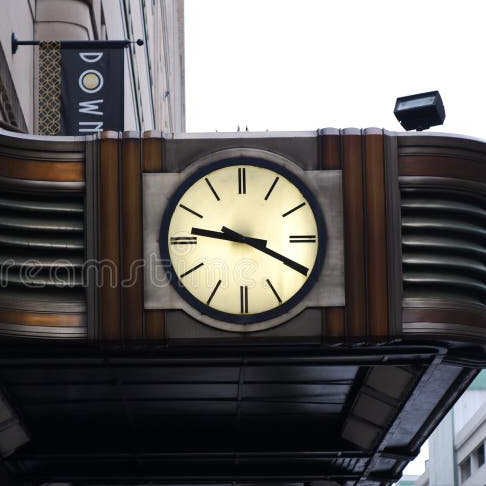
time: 9:19
